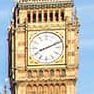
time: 8:11
